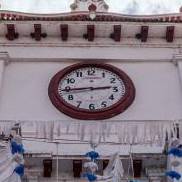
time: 2:44
